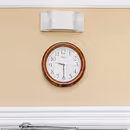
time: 9:30
